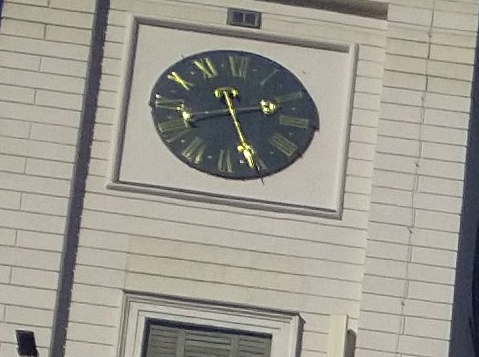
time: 11:26
